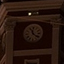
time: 11:21
